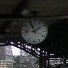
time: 1:56
